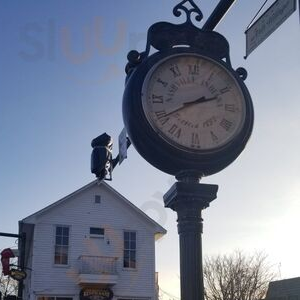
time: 2:40
